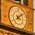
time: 4:09
